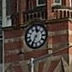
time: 12:34
